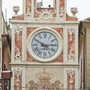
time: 2:49
